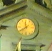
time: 11:38
